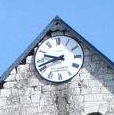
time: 9:42
